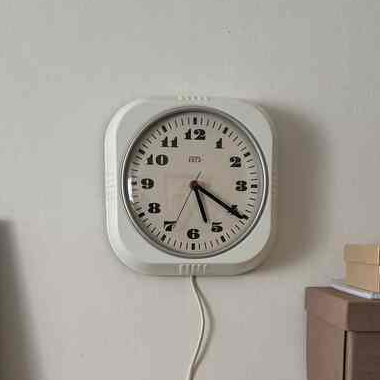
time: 5:20
